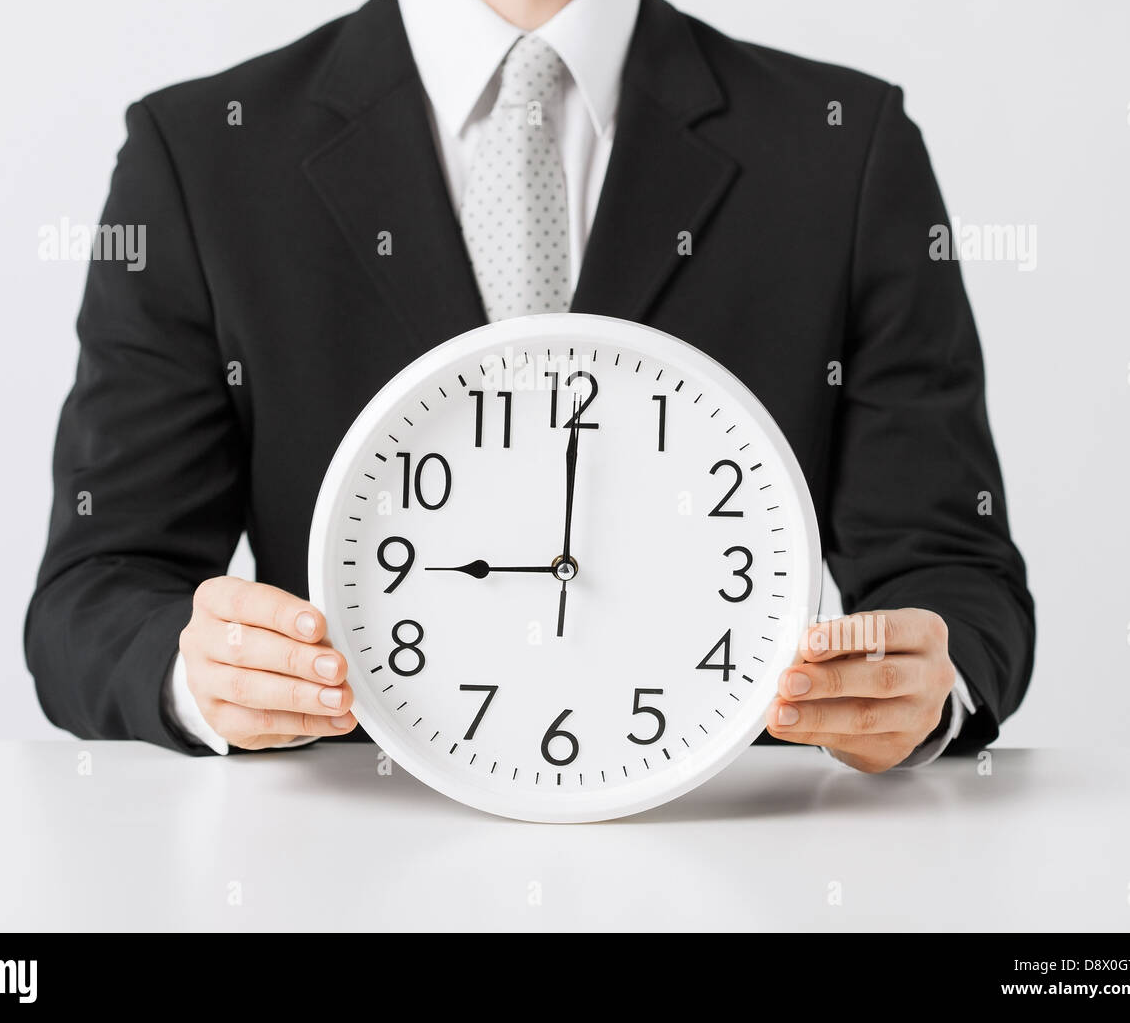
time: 9:00
